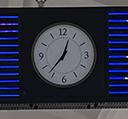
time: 12:36
